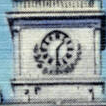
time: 1:29
